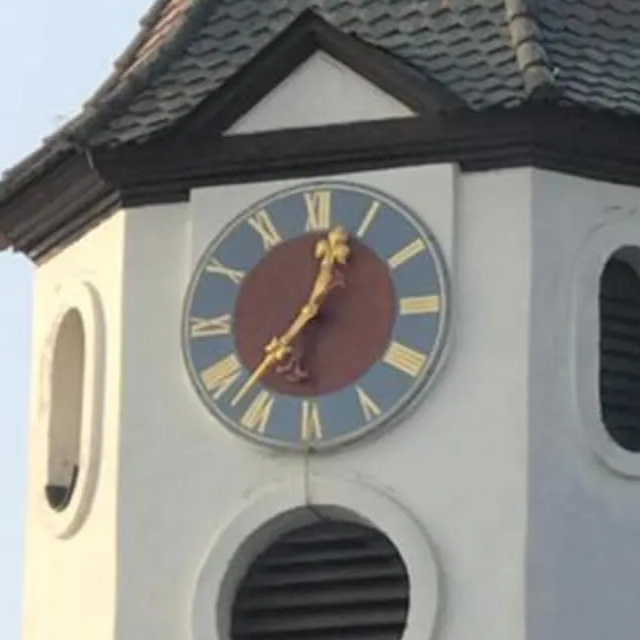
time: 12:37
